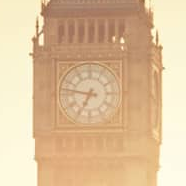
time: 6:46
